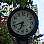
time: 6:41
